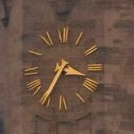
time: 3:35
